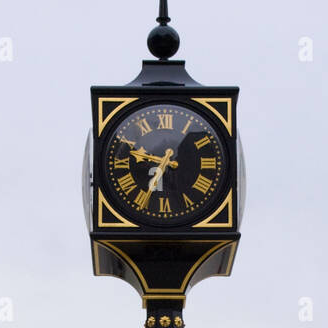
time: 9:34
